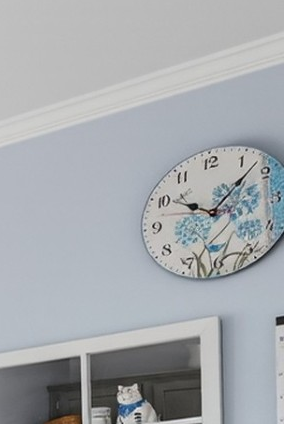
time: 10:07
